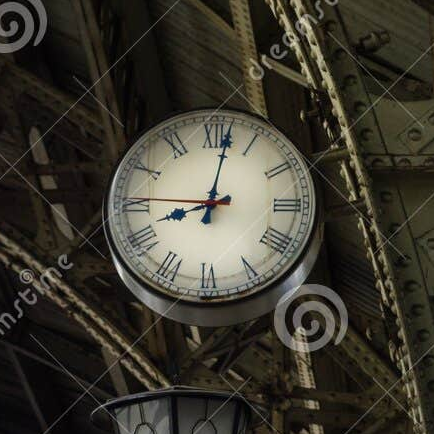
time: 9:01
